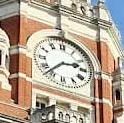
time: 2:37
